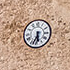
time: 5:33
